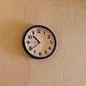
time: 10:38
